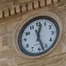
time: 12:27
